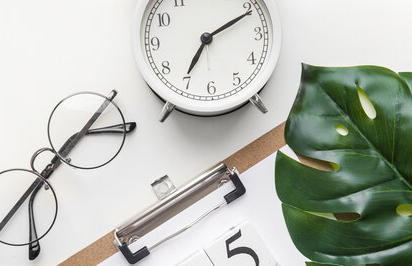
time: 7:10
